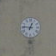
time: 12:46
